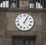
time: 1:05
